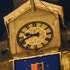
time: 9:42
